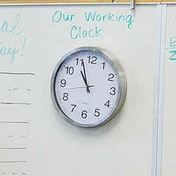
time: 10:56
